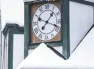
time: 1:18
